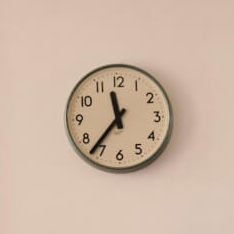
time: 11:36
